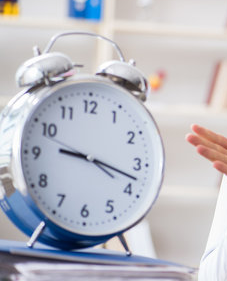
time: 9:17
